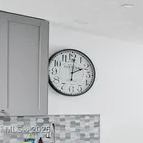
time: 2:01
